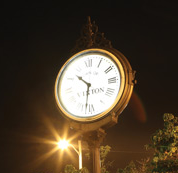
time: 10:32
